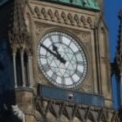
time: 10:49
